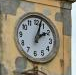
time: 2:02
